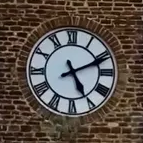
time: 5:11
